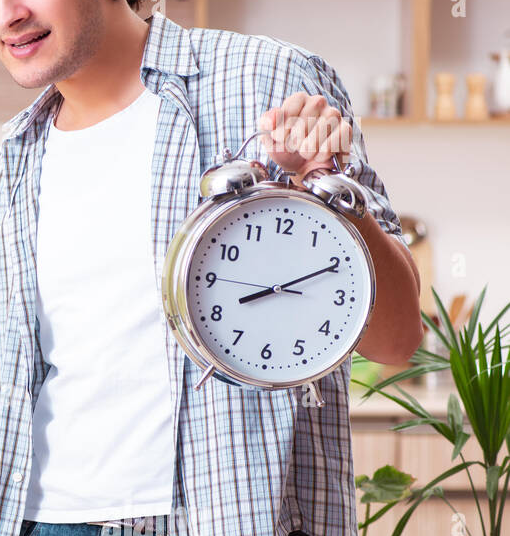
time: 8:10
